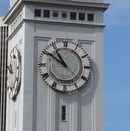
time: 10:50
